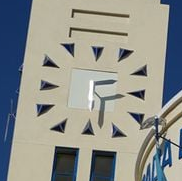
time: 2:29
